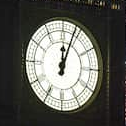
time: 12:03
